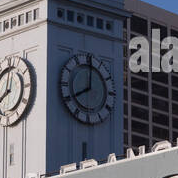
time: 8:01
